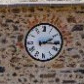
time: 2:16
